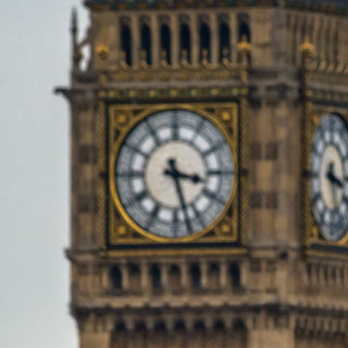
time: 3:27
